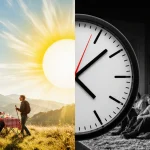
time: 4:08
